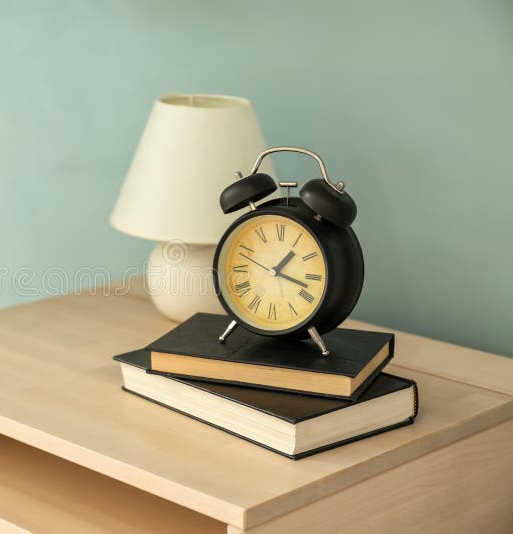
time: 1:18
